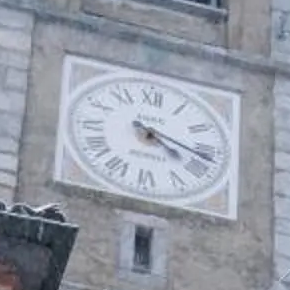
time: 4:17
